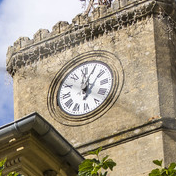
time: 12:04
